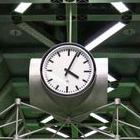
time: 4:04
